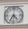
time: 4:35
